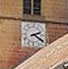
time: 2:21
